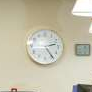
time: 2:24
